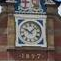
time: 10:07
